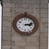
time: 3:12
